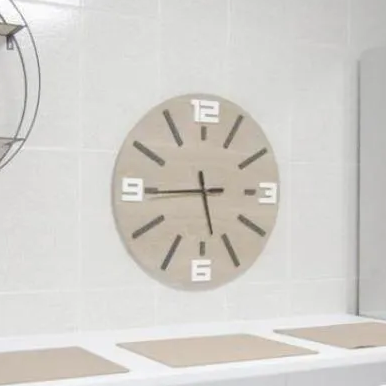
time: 5:44
